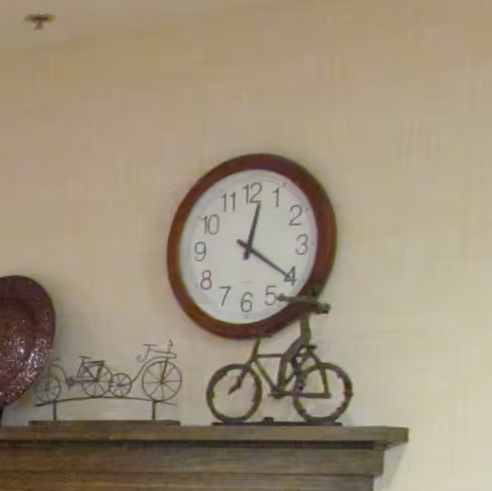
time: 12:20
